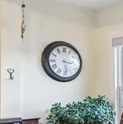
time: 3:28
